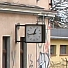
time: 12:43
